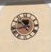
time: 10:42
